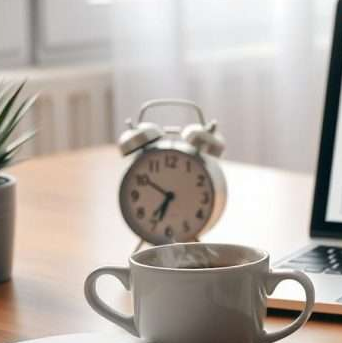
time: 6:50
